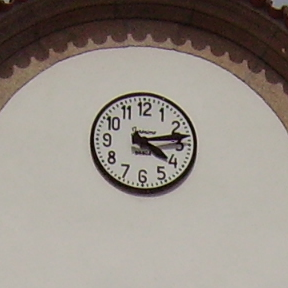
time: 4:13
